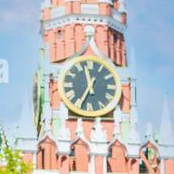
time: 11:34
